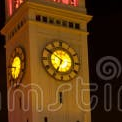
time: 6:50
